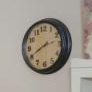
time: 2:40
